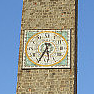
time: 5:34
